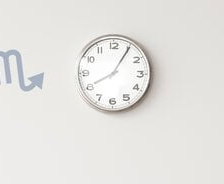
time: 8:05
